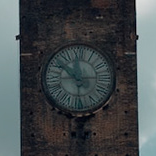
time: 10:14
